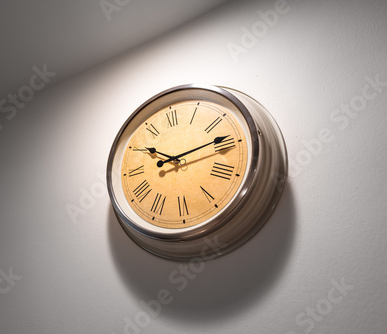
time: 10:13
